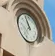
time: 10:56
